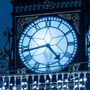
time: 4:43
